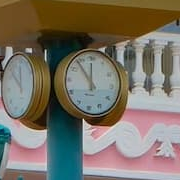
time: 11:53
